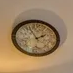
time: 1:56
